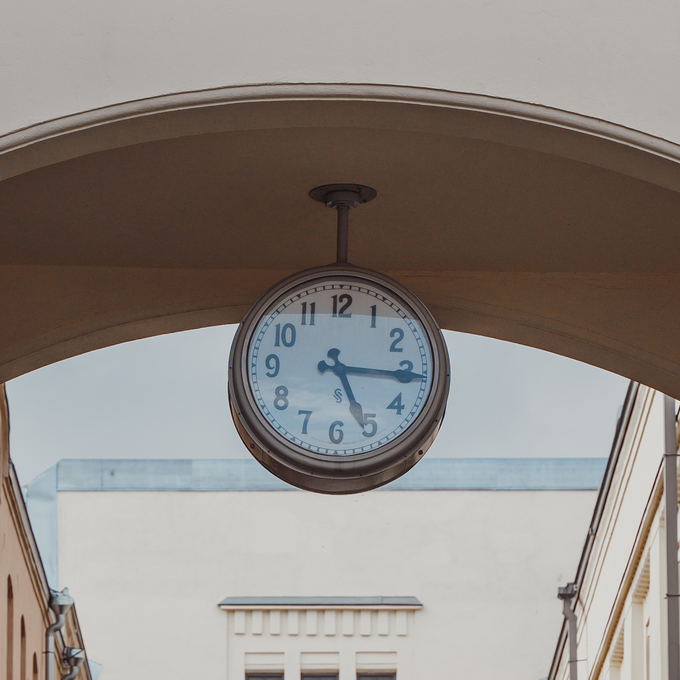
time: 5:15
